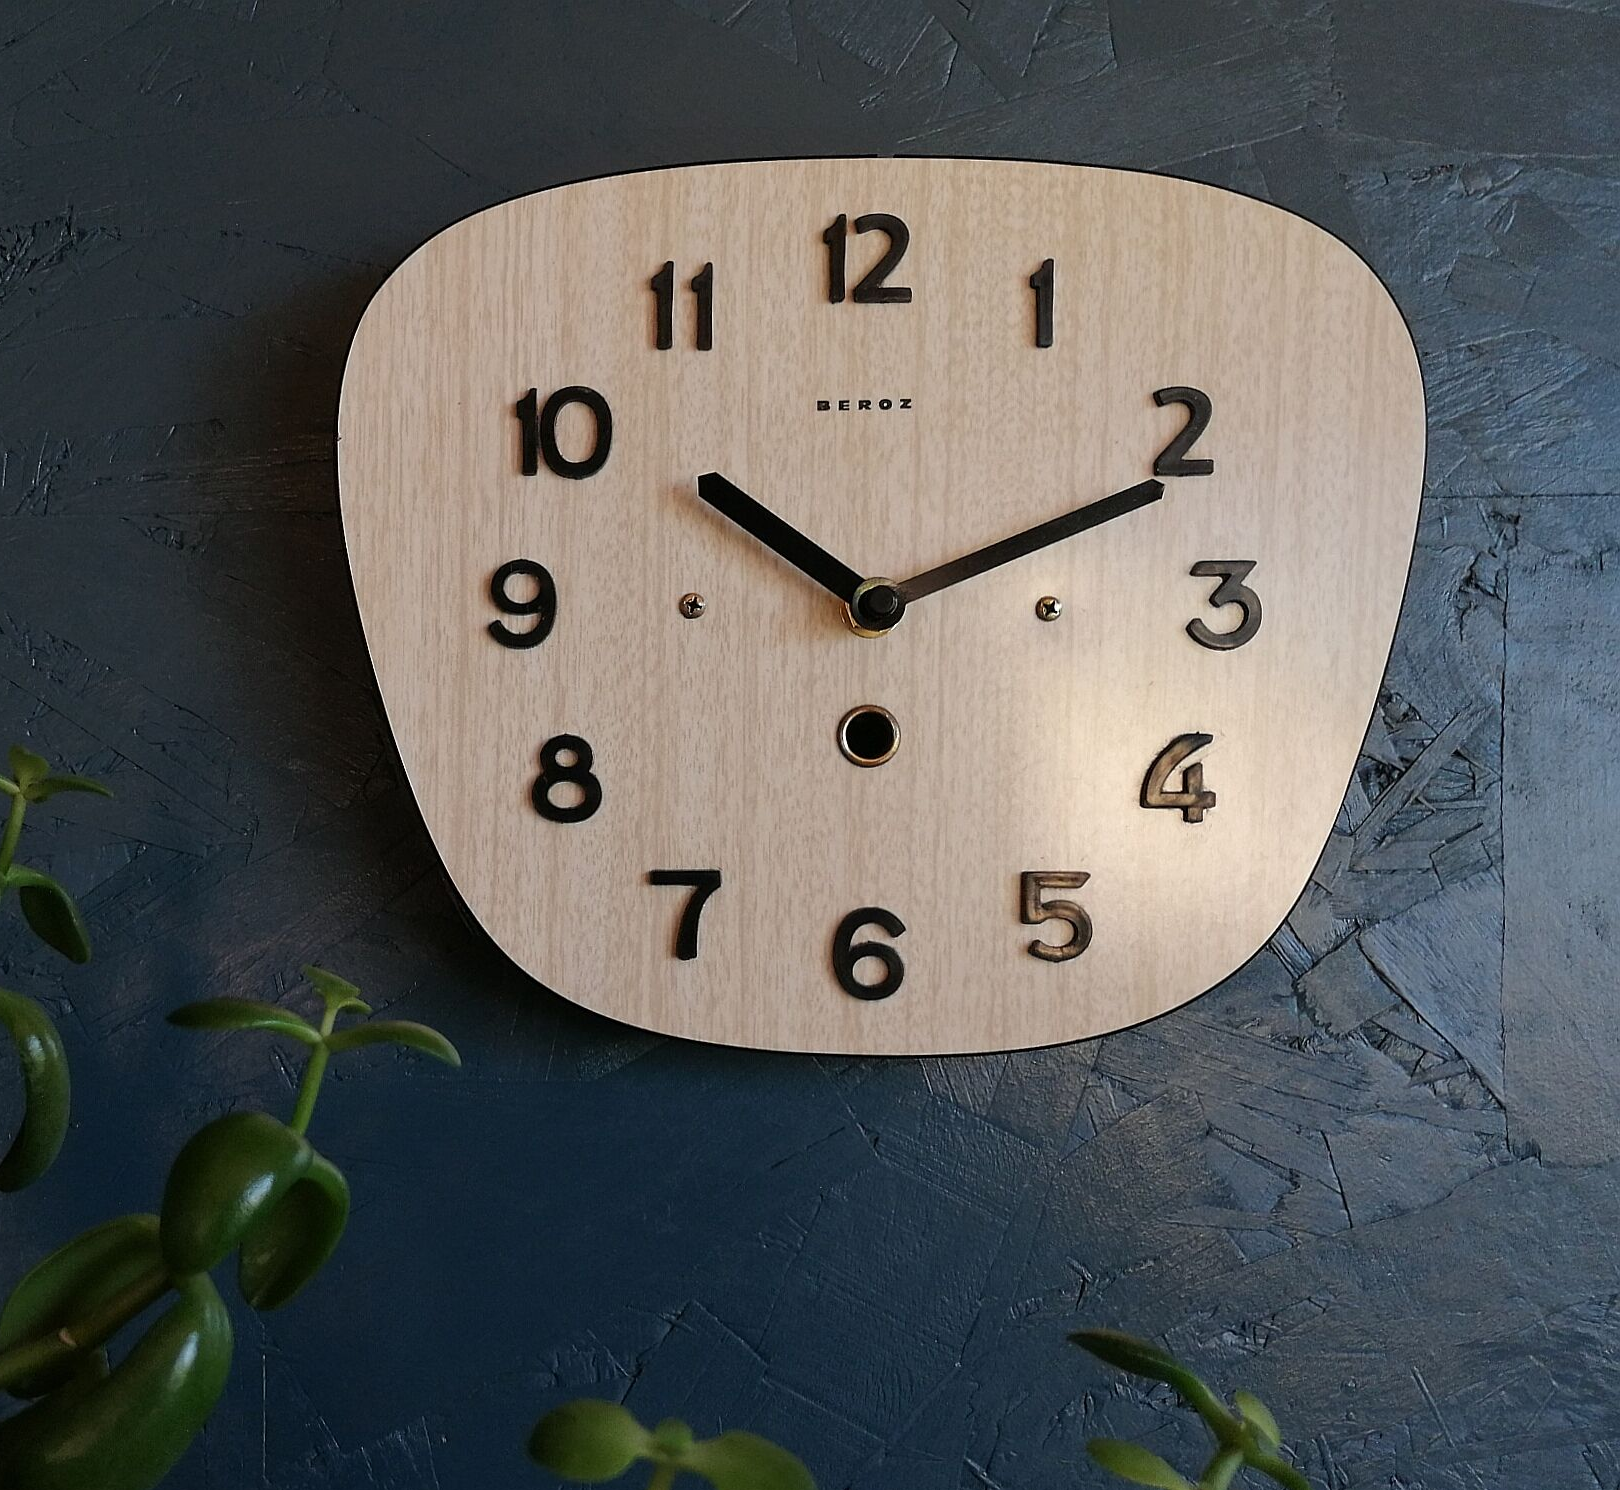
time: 10:11
